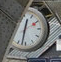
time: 12:32
